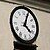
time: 4:04
